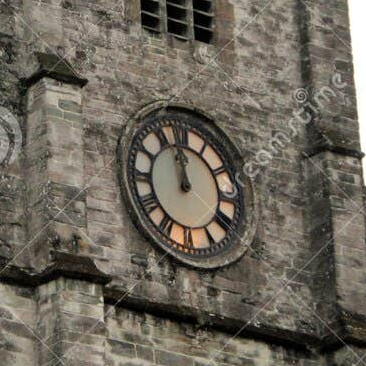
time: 11:58
